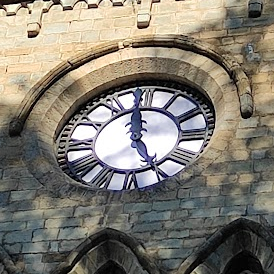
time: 4:59
